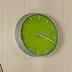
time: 2:18
